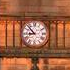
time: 8:52
